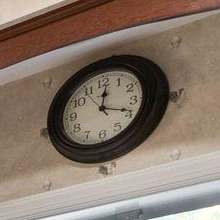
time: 12:18
